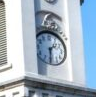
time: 1:30
